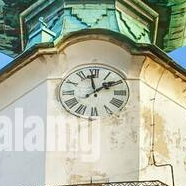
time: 1:58
